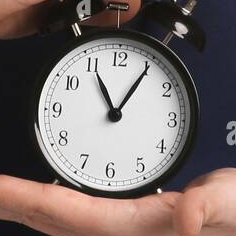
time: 11:05
